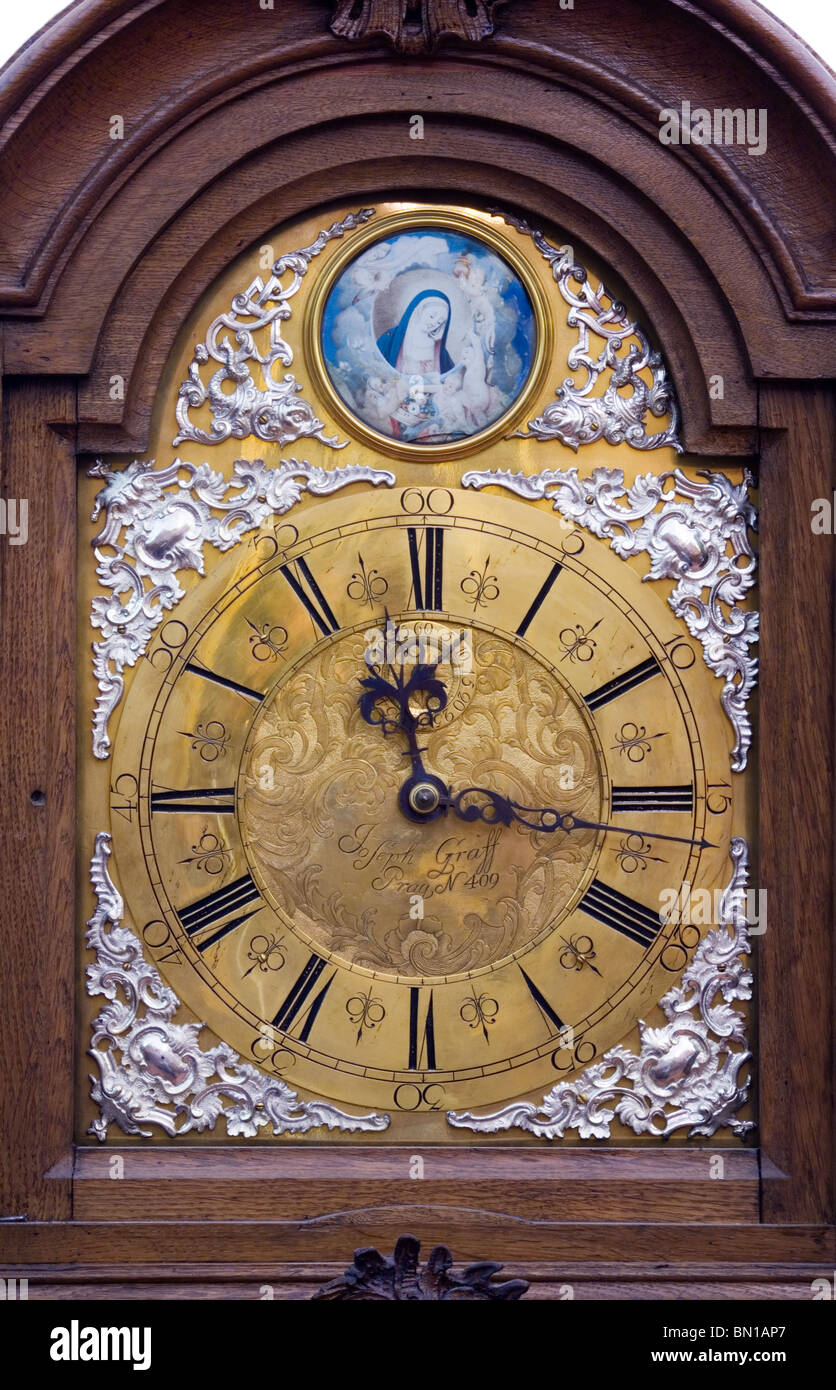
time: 11:16
